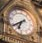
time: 6:39
